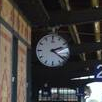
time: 2:21
